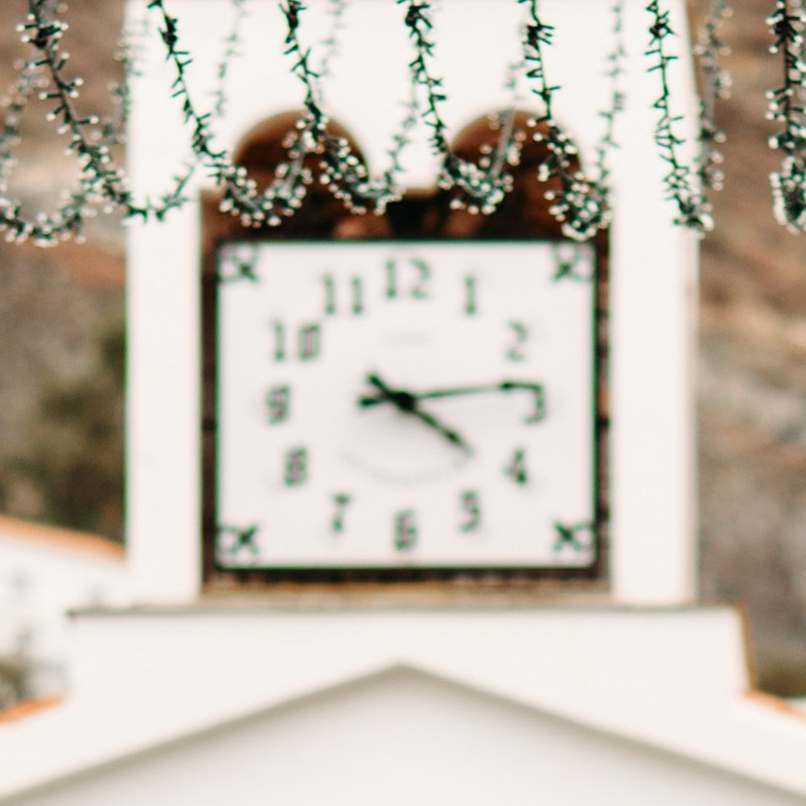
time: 4:13
